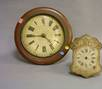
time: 4:44
